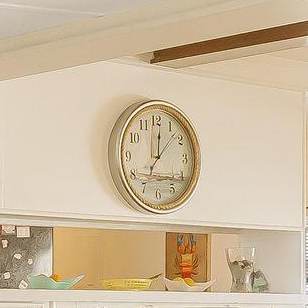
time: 7:01
